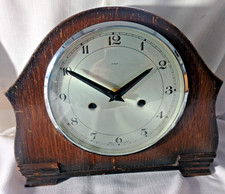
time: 1:50
